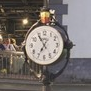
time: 6:54
